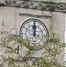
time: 12:00
